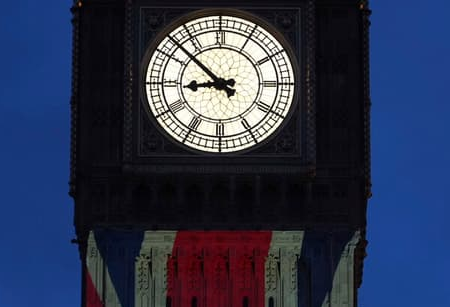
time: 8:51
